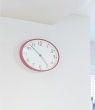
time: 4:52
